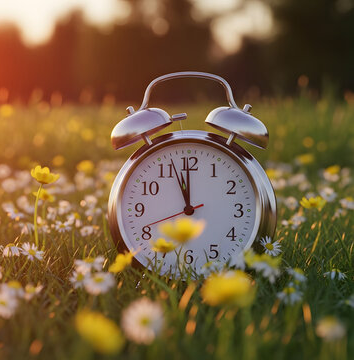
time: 11:56
